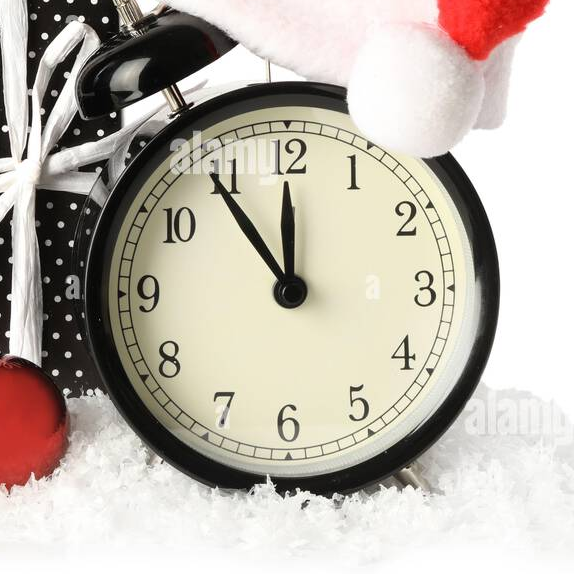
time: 11:54
